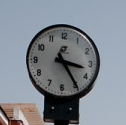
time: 3:24
